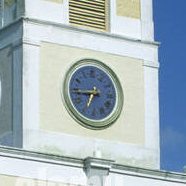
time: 6:43
